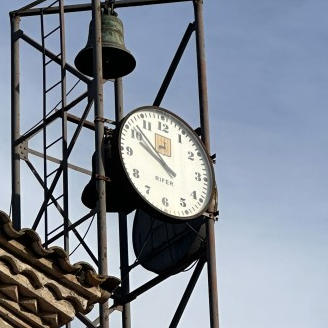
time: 9:51
